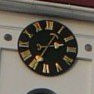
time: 2:34
